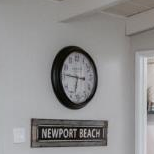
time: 6:46
